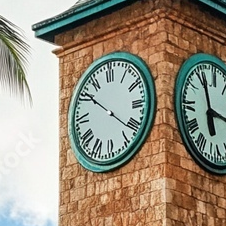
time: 10:21
